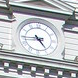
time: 4:44
